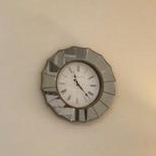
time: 4:22
